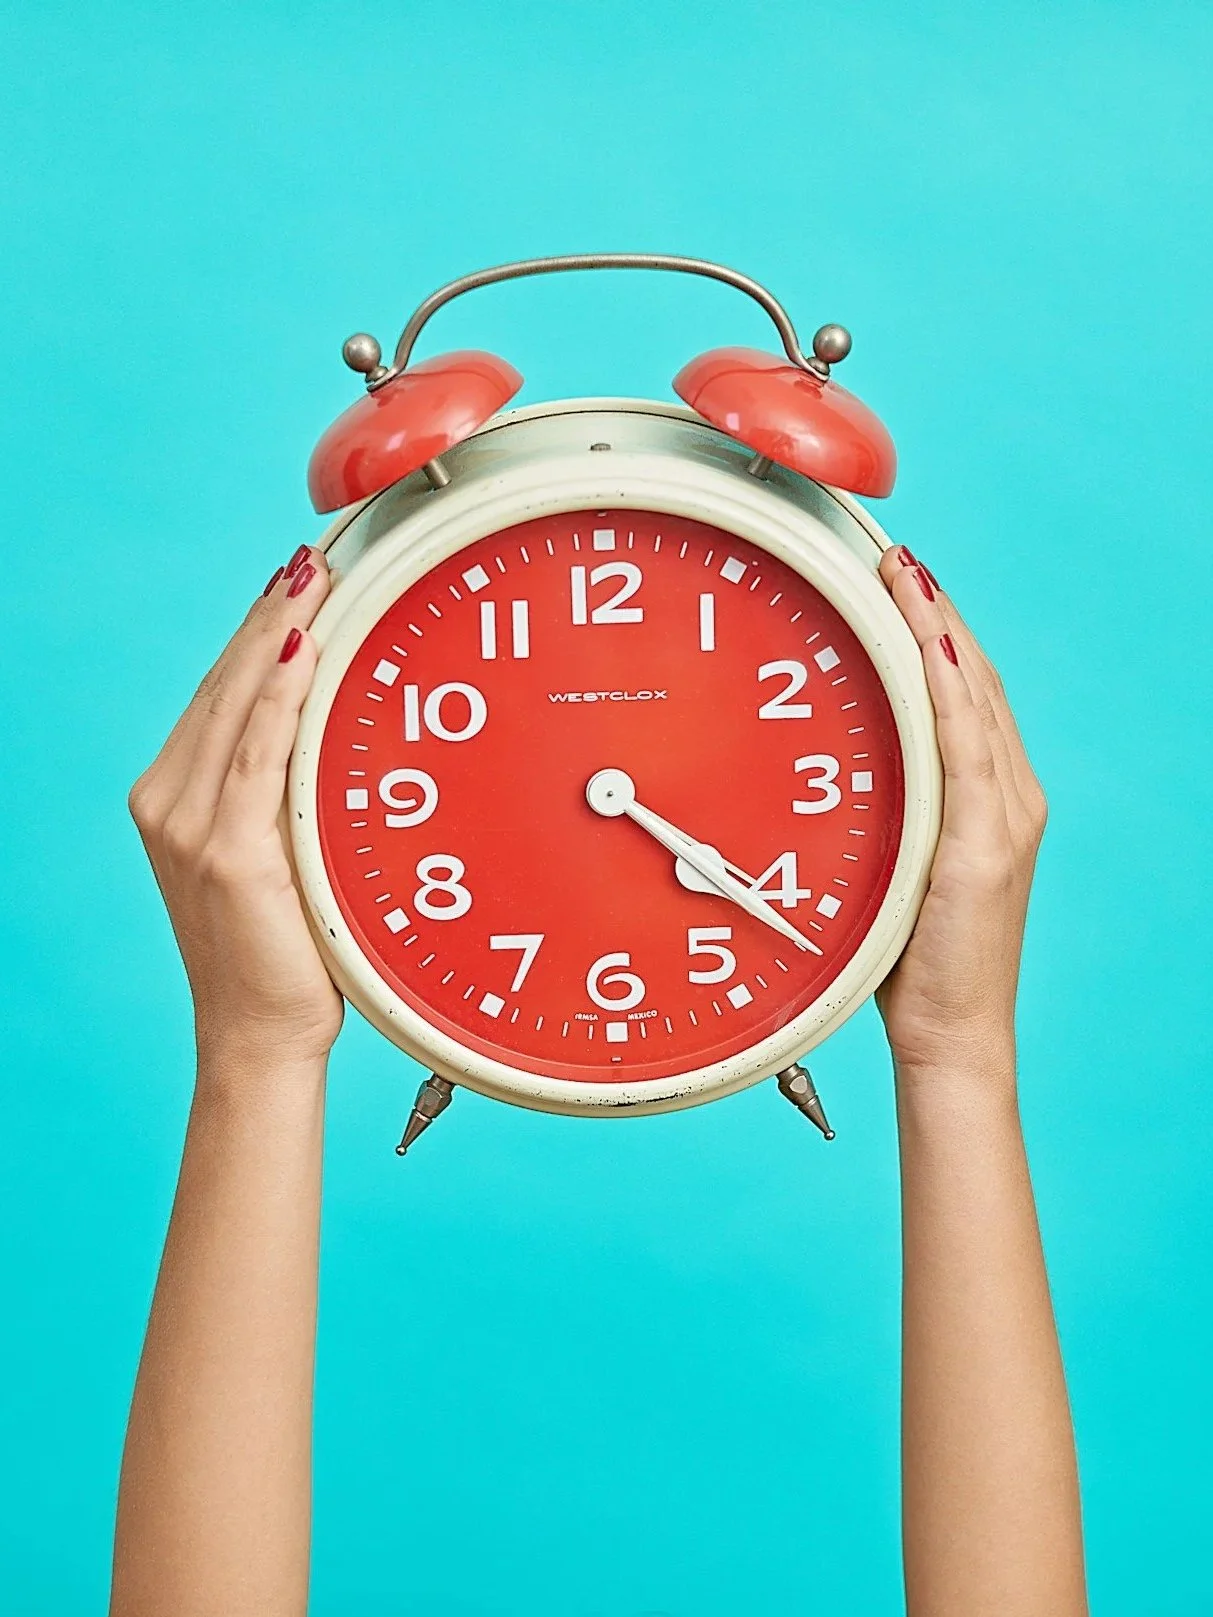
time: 4:21
